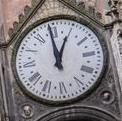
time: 12:59
